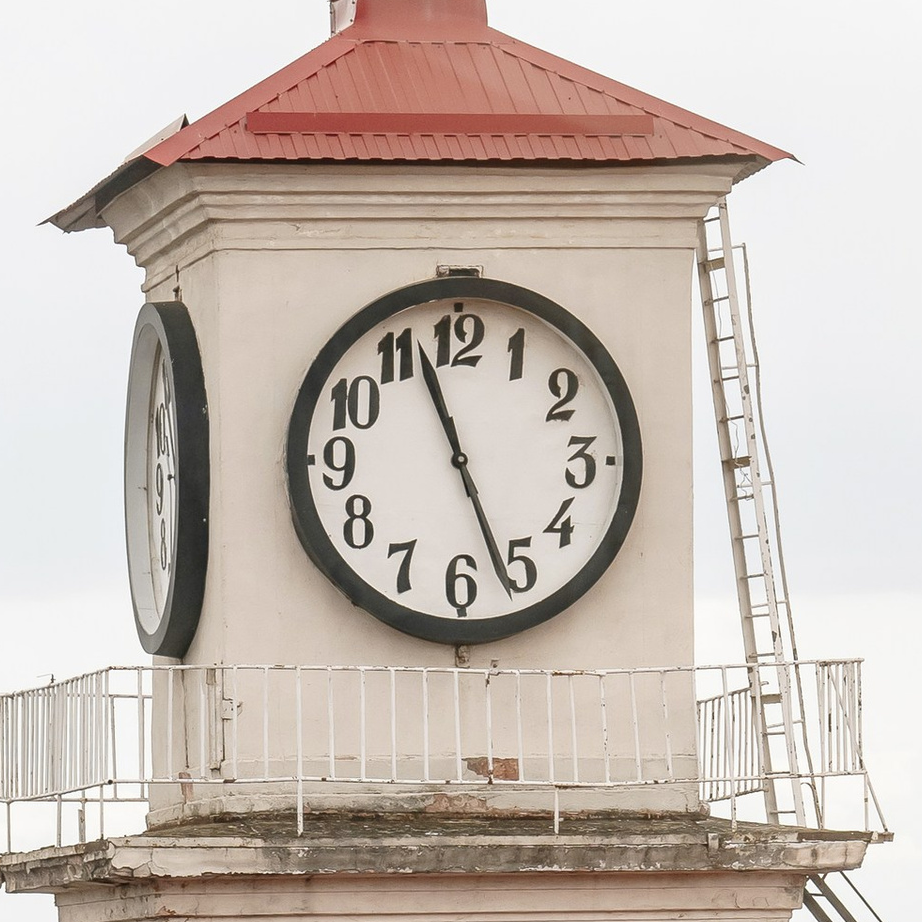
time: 11:26
